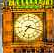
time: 7:17
